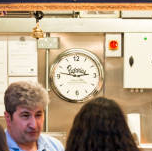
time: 2:46
